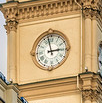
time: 2:57
